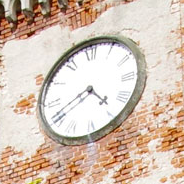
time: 4:40
